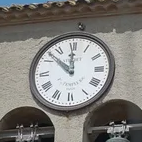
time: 11:52
